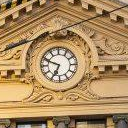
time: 6:48
